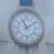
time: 11:09
